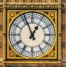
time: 12:56
